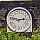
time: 2:46
